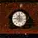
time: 11:46
